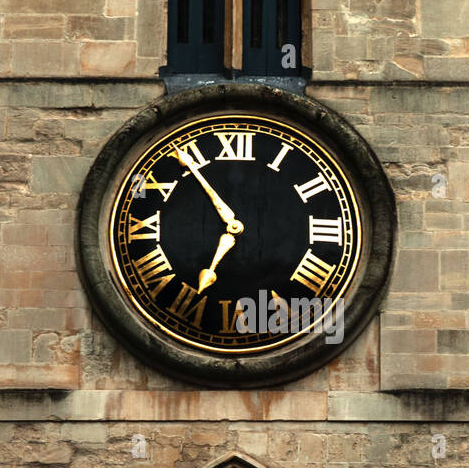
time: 6:54
